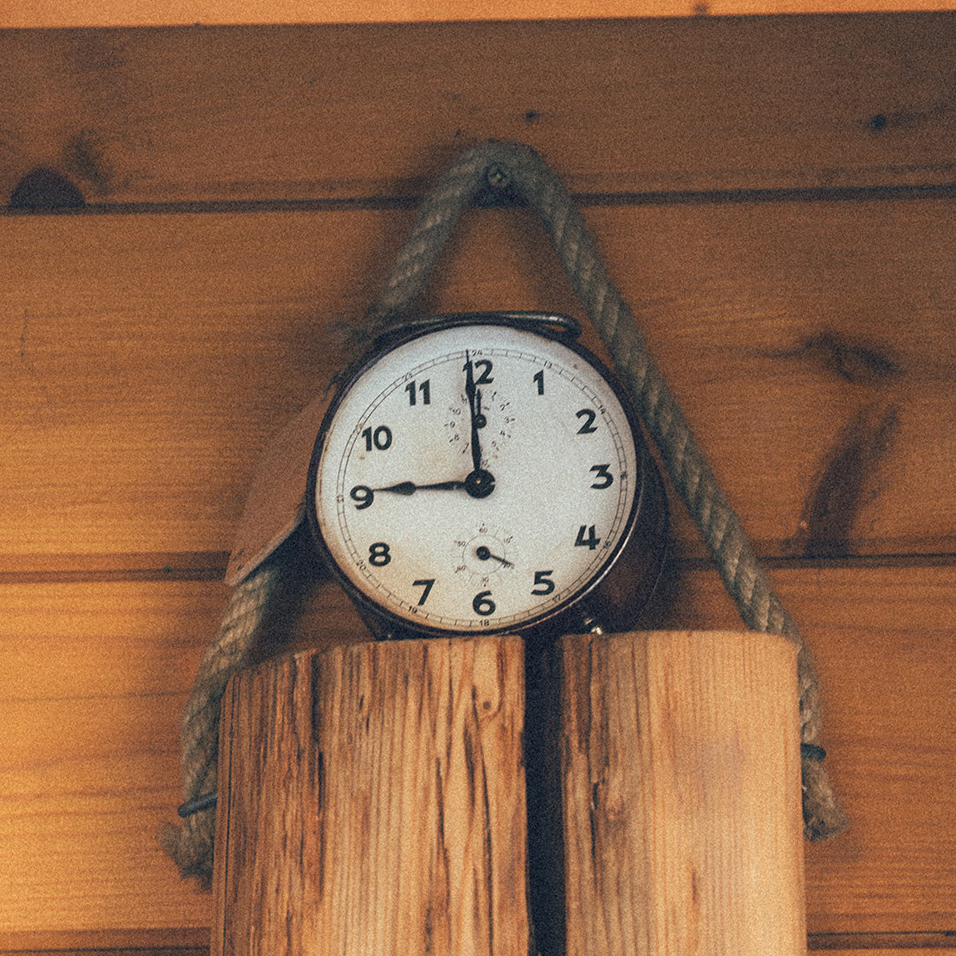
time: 8:59
